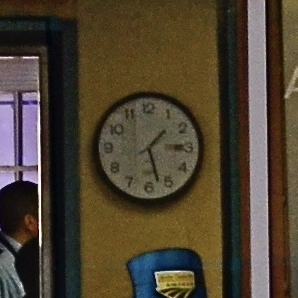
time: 1:27
